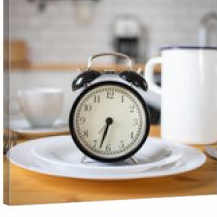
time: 6:32
